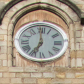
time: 7:00
